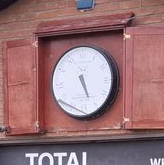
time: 5:26
